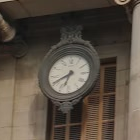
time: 6:40
